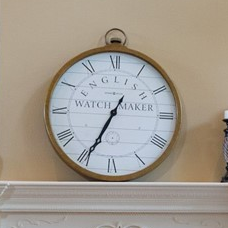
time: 6:34
